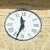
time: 11:33
